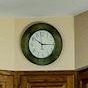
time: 10:15
